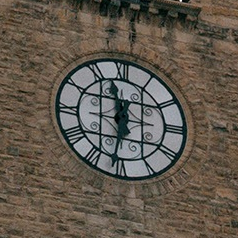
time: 11:31
